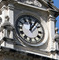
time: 12:06
